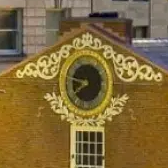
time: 7:46
